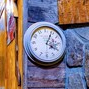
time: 4:04
